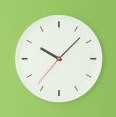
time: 10:07
